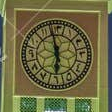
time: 5:57
